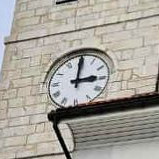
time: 3:00
